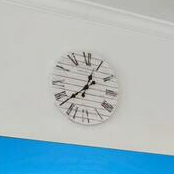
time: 12:38
